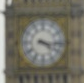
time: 4:16
